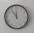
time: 11:53
